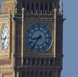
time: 8:36
